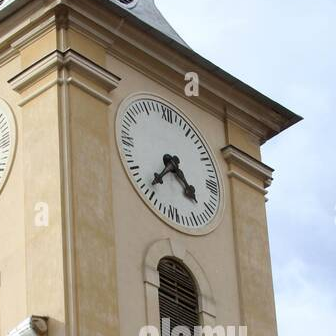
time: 4:36
